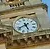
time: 5:40
